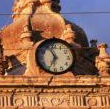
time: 6:56
